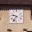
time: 9:36
